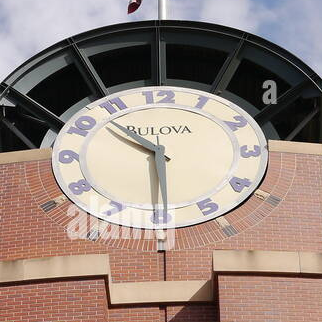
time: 10:29
